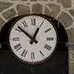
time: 12:52
